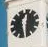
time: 12:28
